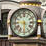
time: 5:45
